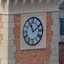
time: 11:10
